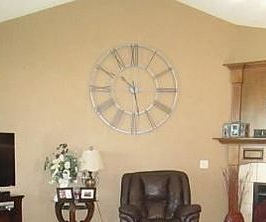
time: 10:28
